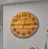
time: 12:14
